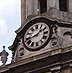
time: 1:42
